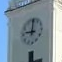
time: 8:59
